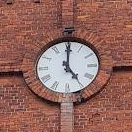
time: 5:00
